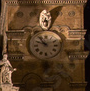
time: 9:53
